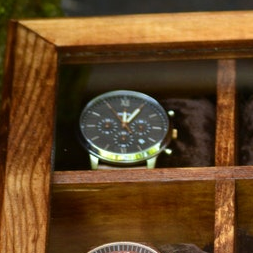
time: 12:05
